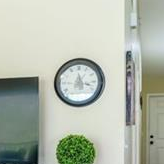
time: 5:18
